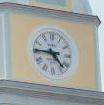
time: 4:45
